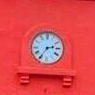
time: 2:36
